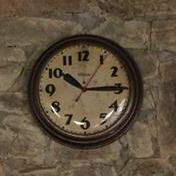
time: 10:14
